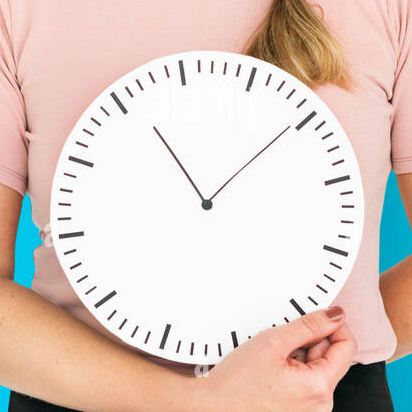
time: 11:09
